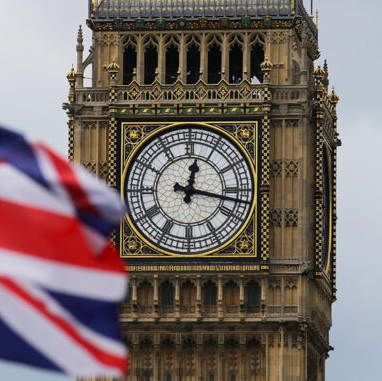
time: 12:17
